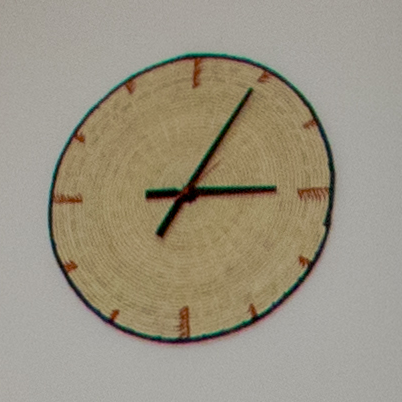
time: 3:04
